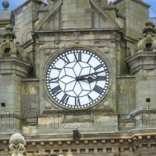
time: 3:12
